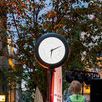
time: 6:10
